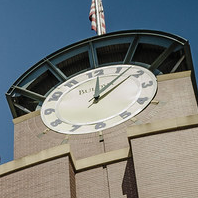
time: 12:07
